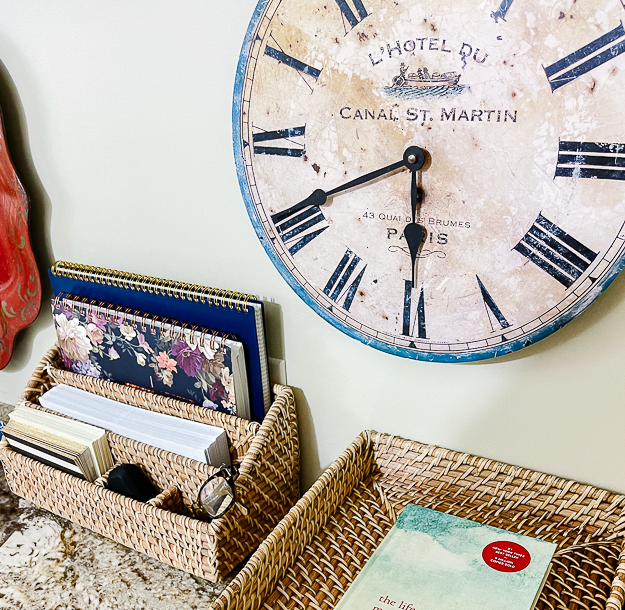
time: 5:40
